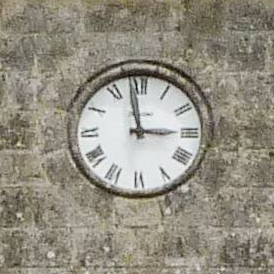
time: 2:58
